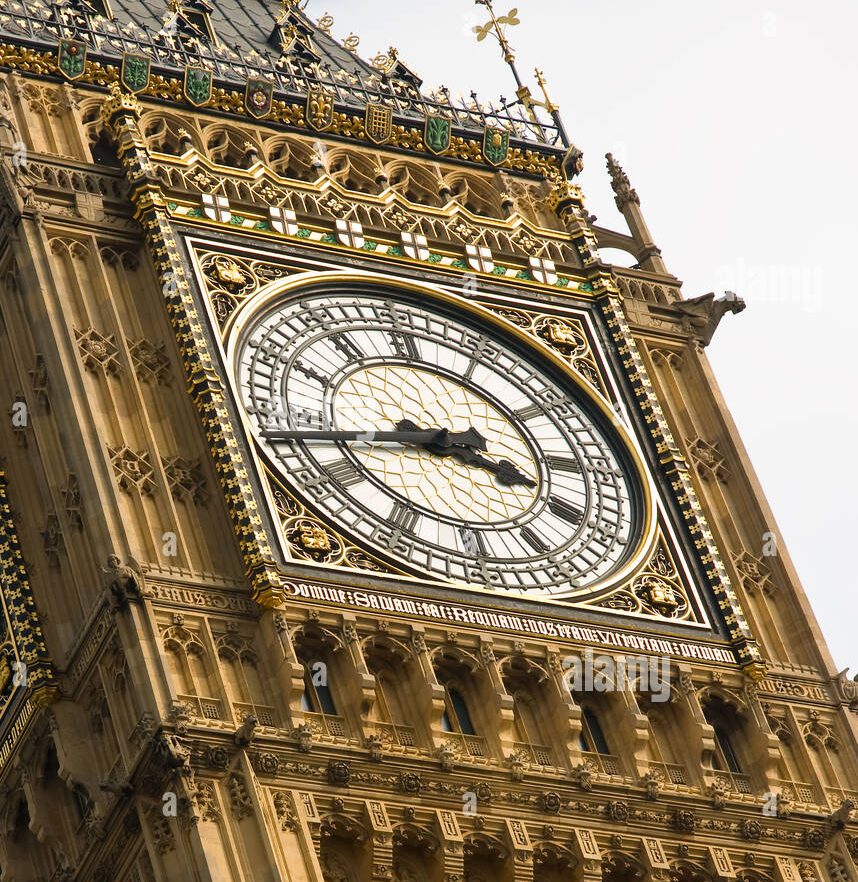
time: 3:43
